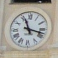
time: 11:17
